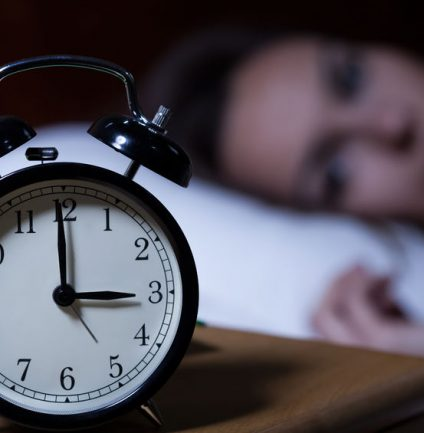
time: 2:59
